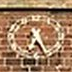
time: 6:25
